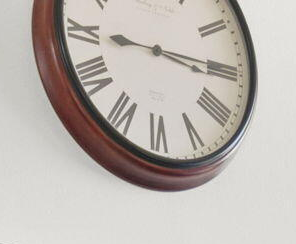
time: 9:15
